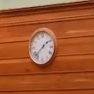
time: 1:37
